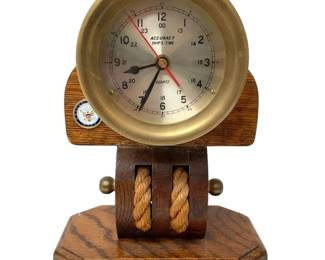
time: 8:34
